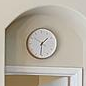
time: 1:31
